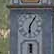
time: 6:05
